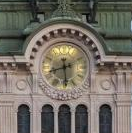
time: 2:29
